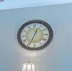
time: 12:34
